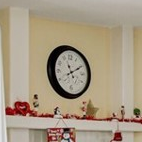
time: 11:10
